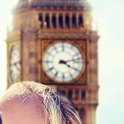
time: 4:12
